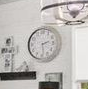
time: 2:28
